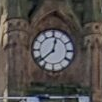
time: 12:38
